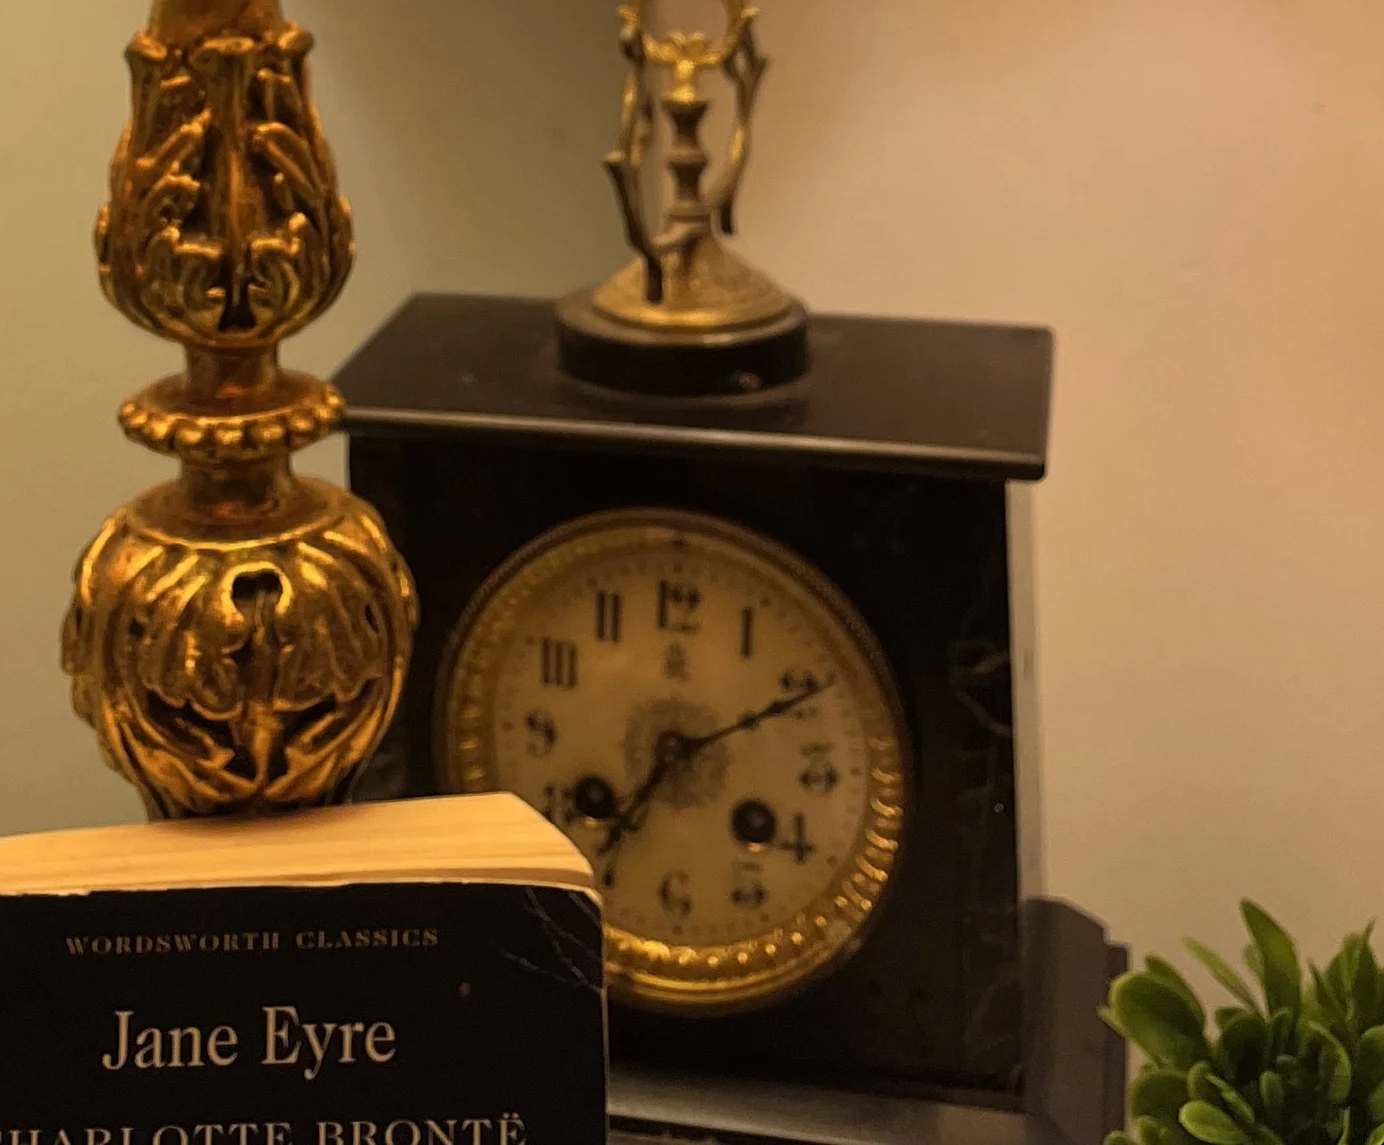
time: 7:09
